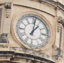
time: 1:01
